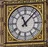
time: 11:07
